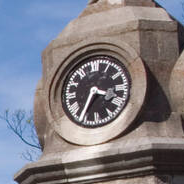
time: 3:34
